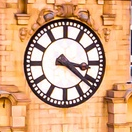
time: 3:21
